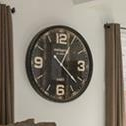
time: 4:04
